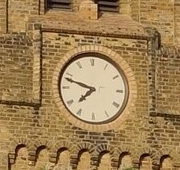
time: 7:48
